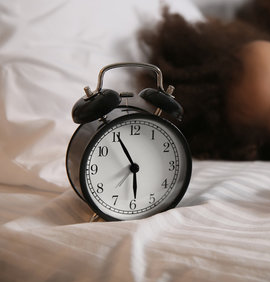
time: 5:55
